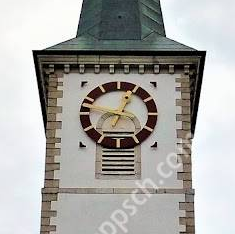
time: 9:04
